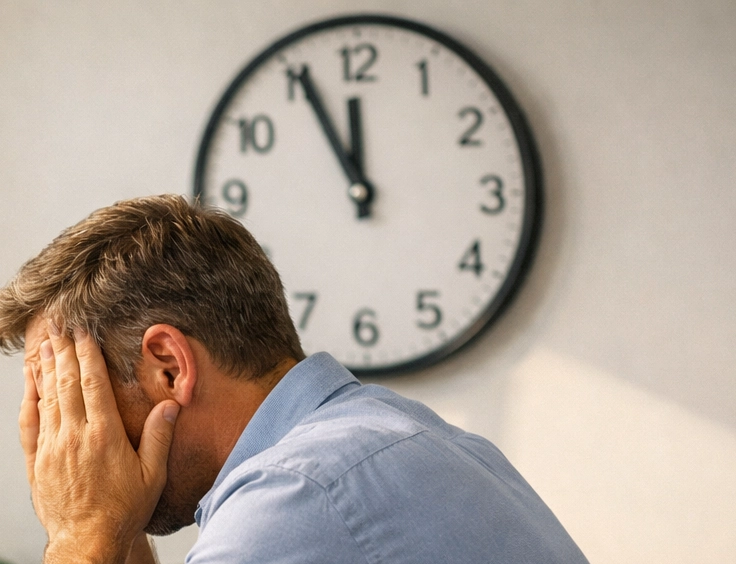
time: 11:55
